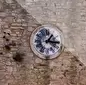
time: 1:16
